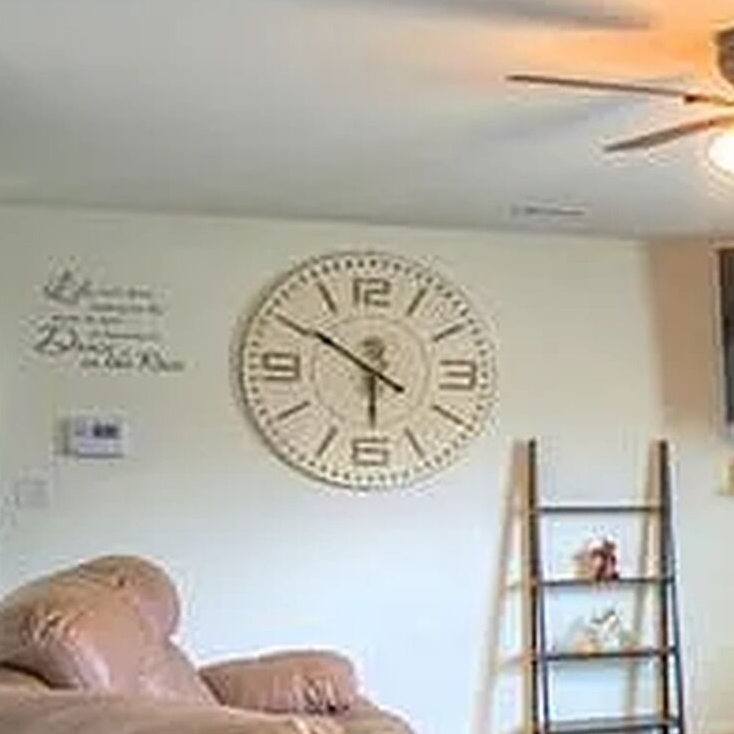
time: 5:50
